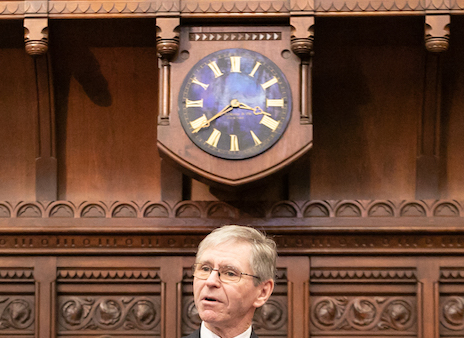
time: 3:38
